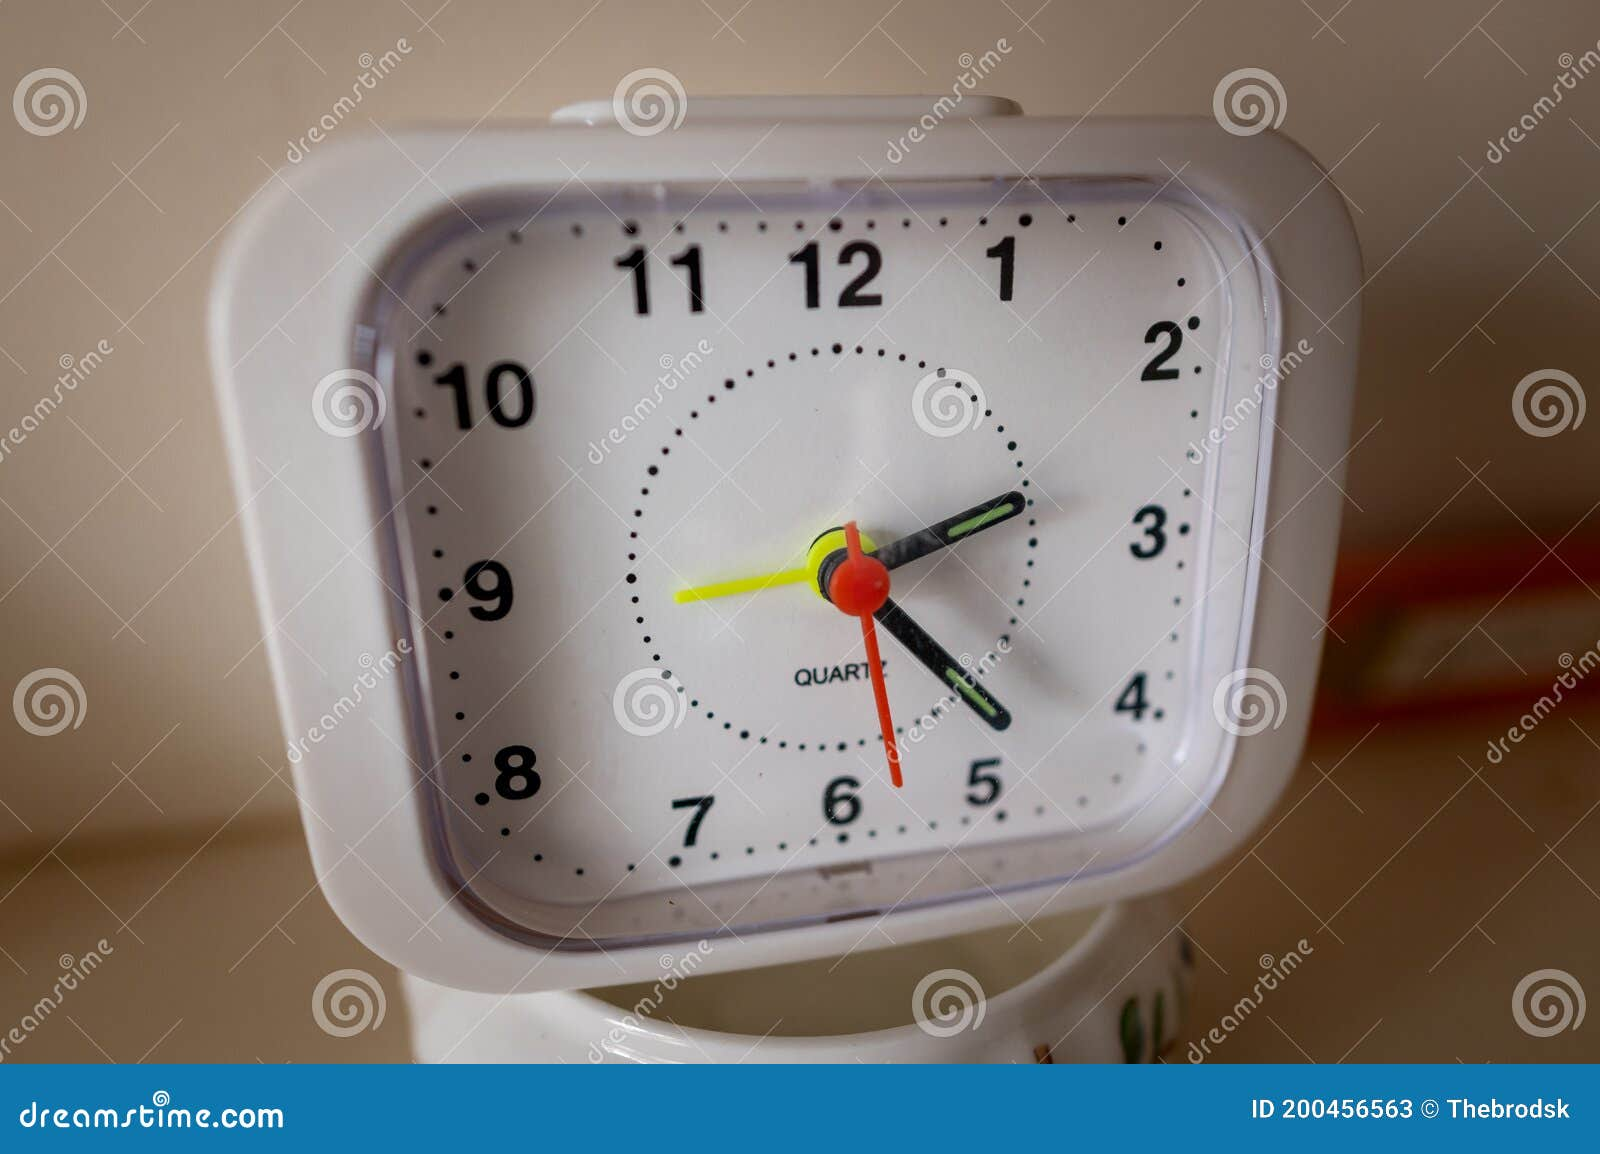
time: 2:22
